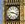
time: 9:18
